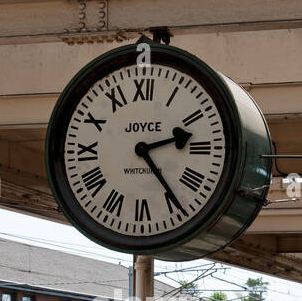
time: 2:23
